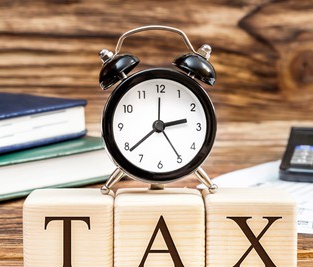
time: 2:38
